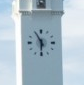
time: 5:55
